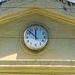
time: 11:52
